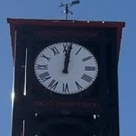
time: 12:01
